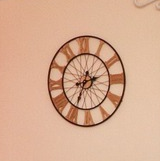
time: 2:34
